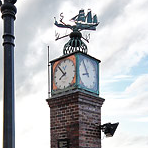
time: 7:53
